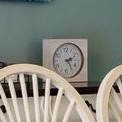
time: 2:24
